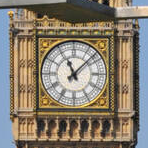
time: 11:07
